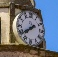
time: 7:39
